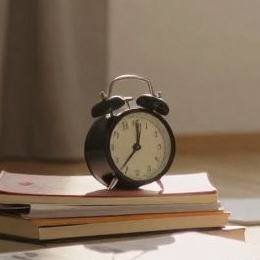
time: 12:36
